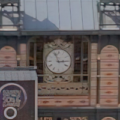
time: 2:56
